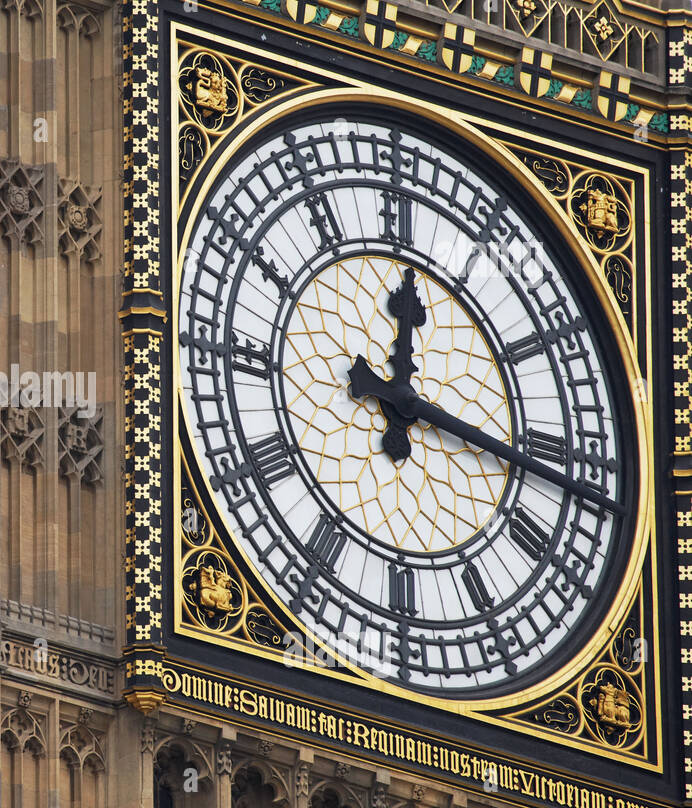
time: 12:16
